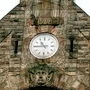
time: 10:45
